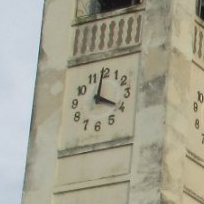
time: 4:00
